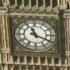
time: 11:19
